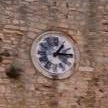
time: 1:14
